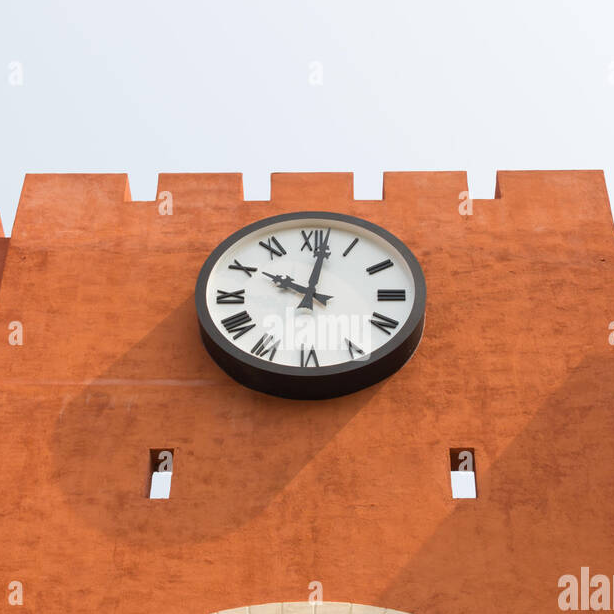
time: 10:01
